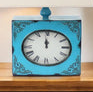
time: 11:59
